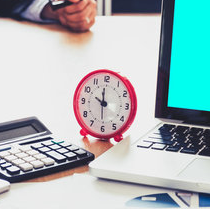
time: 9:59
